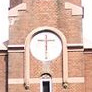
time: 6:00
